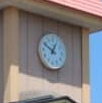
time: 12:49
